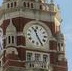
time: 11:25
